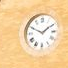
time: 1:49
